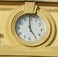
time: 4:59
